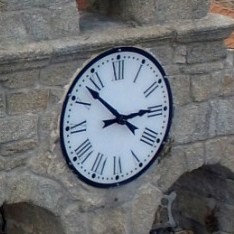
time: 2:52
